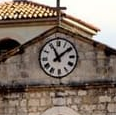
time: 11:09
